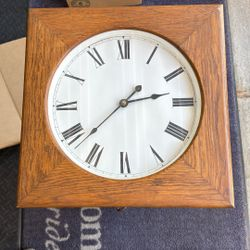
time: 2:37
